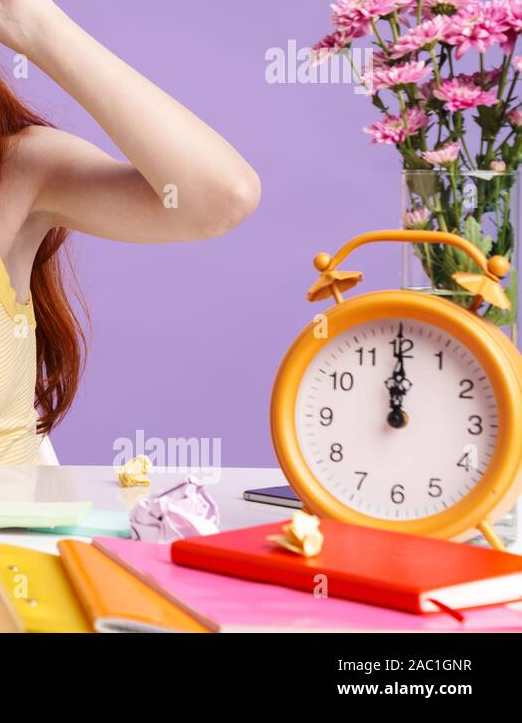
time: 12:00
